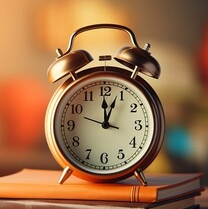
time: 12:03
